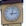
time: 3:02
